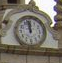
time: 11:58
